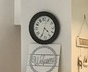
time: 4:34
